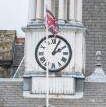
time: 2:04
